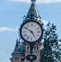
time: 4:50
